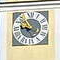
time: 8:53
